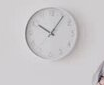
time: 10:05
